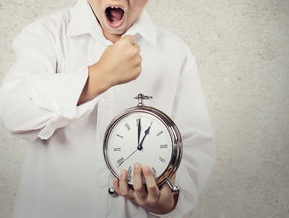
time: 1:00
